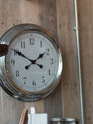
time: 1:50
